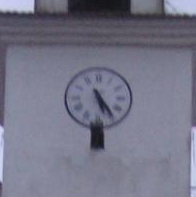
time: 5:24
